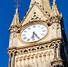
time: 6:25
